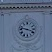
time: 3:47
